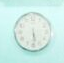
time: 5:30
